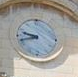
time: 9:42
